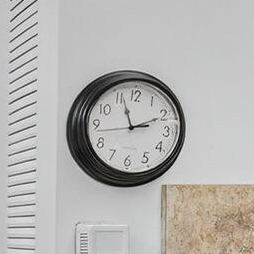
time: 2:56
